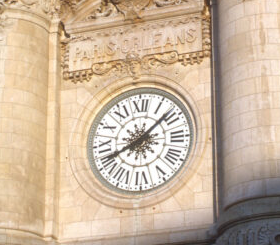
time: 8:08
